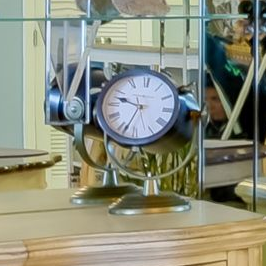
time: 9:34
